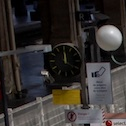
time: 12:19
